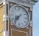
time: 7:36
